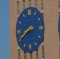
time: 8:40
